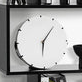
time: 6:07
